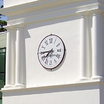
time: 7:44
